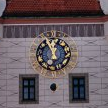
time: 12:55
